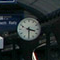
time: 3:30
